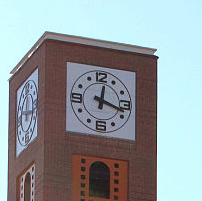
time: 12:17
